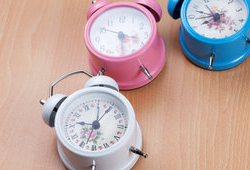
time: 3:29
